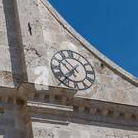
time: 10:36
